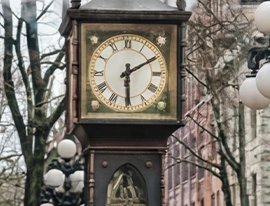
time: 6:10
